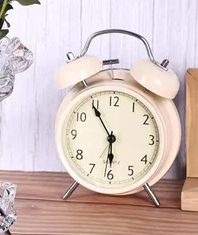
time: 5:54
